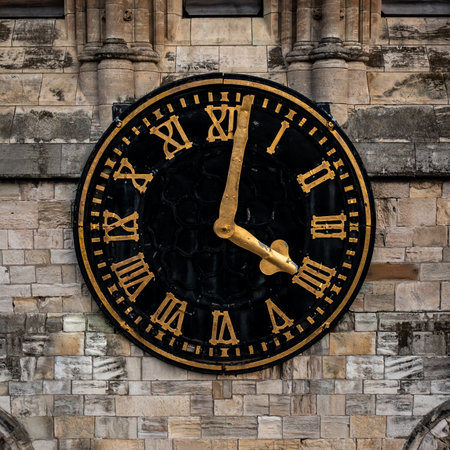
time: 4:01
